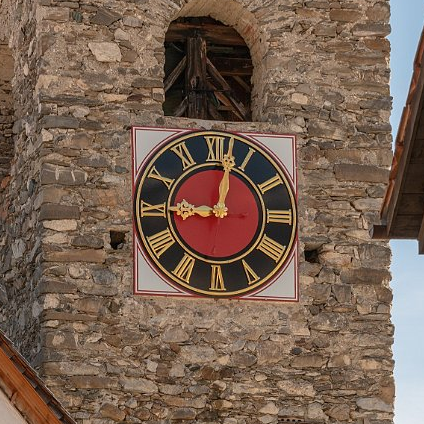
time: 9:02
